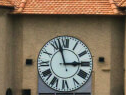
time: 2:57
